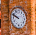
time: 9:48
